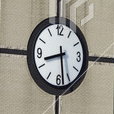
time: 8:28
